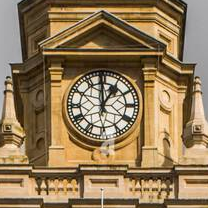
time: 12:59
